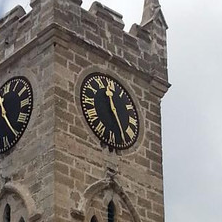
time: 11:25
